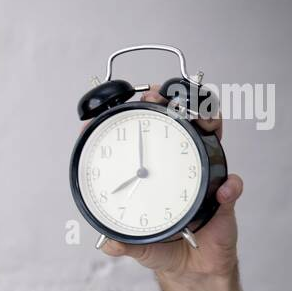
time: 7:59
